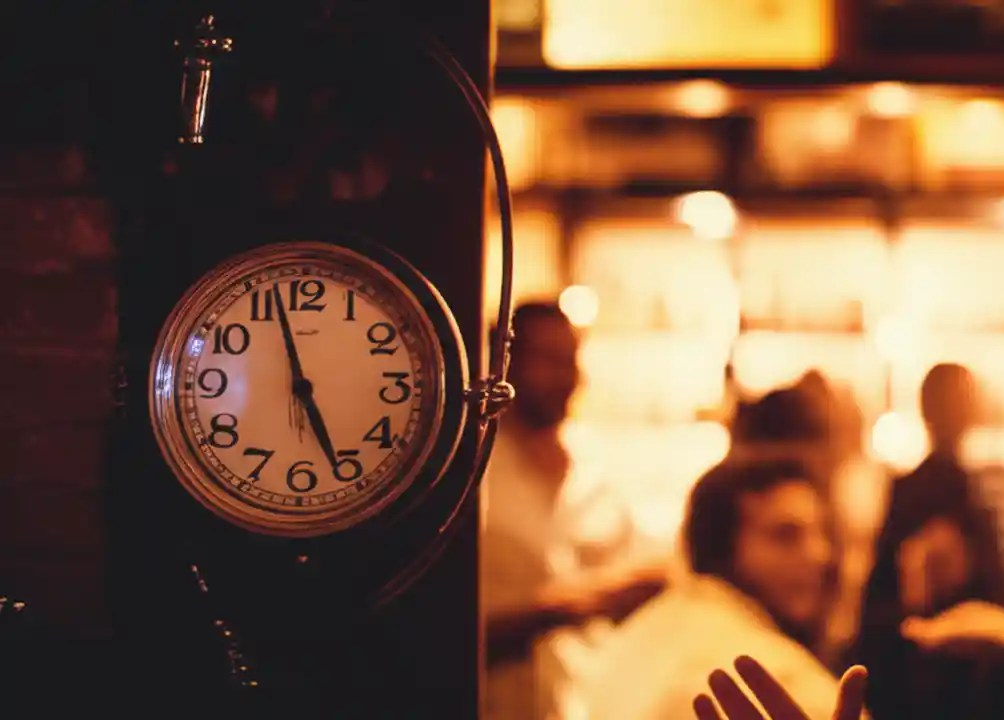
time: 4:57
